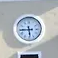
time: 5:44
